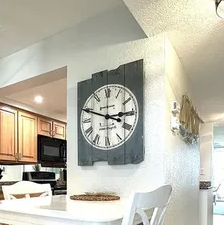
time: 2:48
